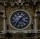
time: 7:07
